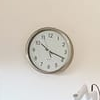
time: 10:18
